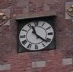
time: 11:21
